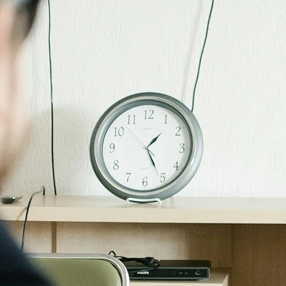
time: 1:25
